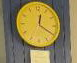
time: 12:20
